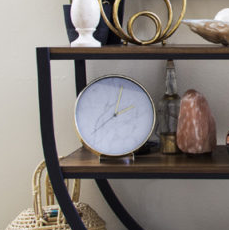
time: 2:02
